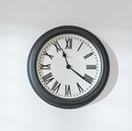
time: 11:20
